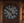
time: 4:50
